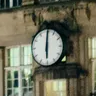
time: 6:00
